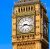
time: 8:17
